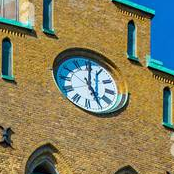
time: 5:00
